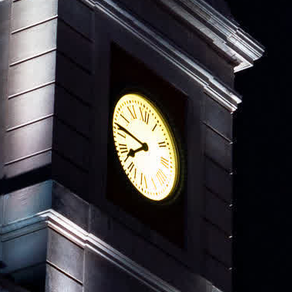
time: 7:46
